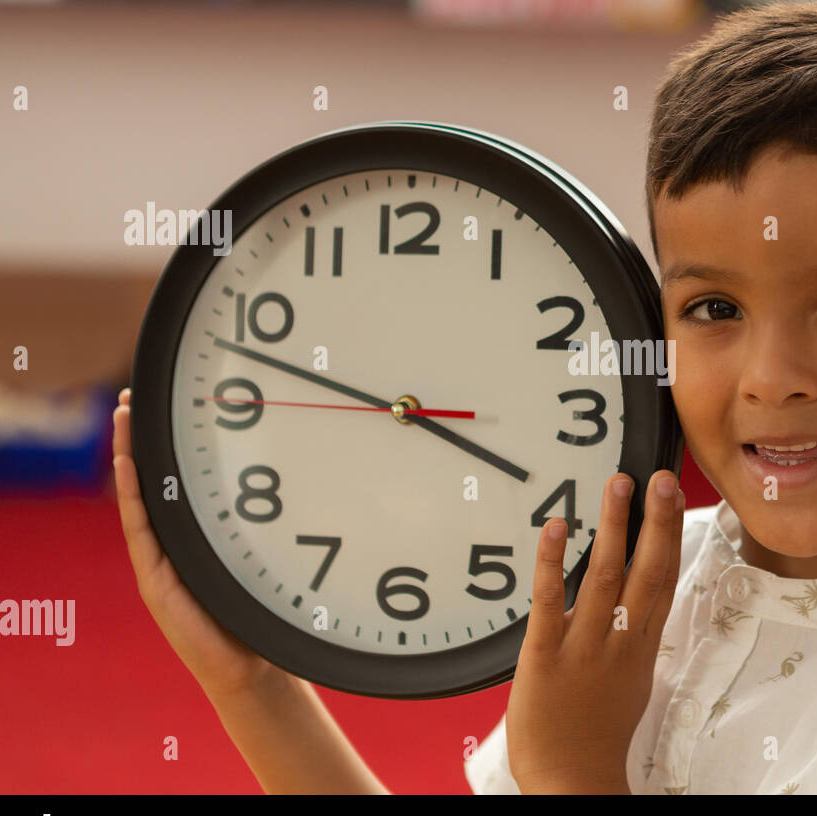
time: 3:47
